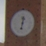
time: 12:32
